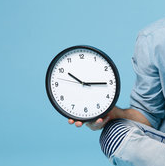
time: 10:15
